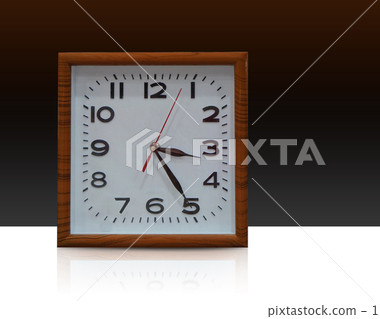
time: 3:24
